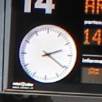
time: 2:20
